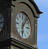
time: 6:06
